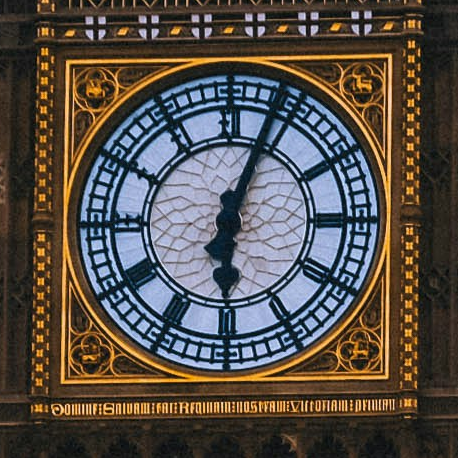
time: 6:03
